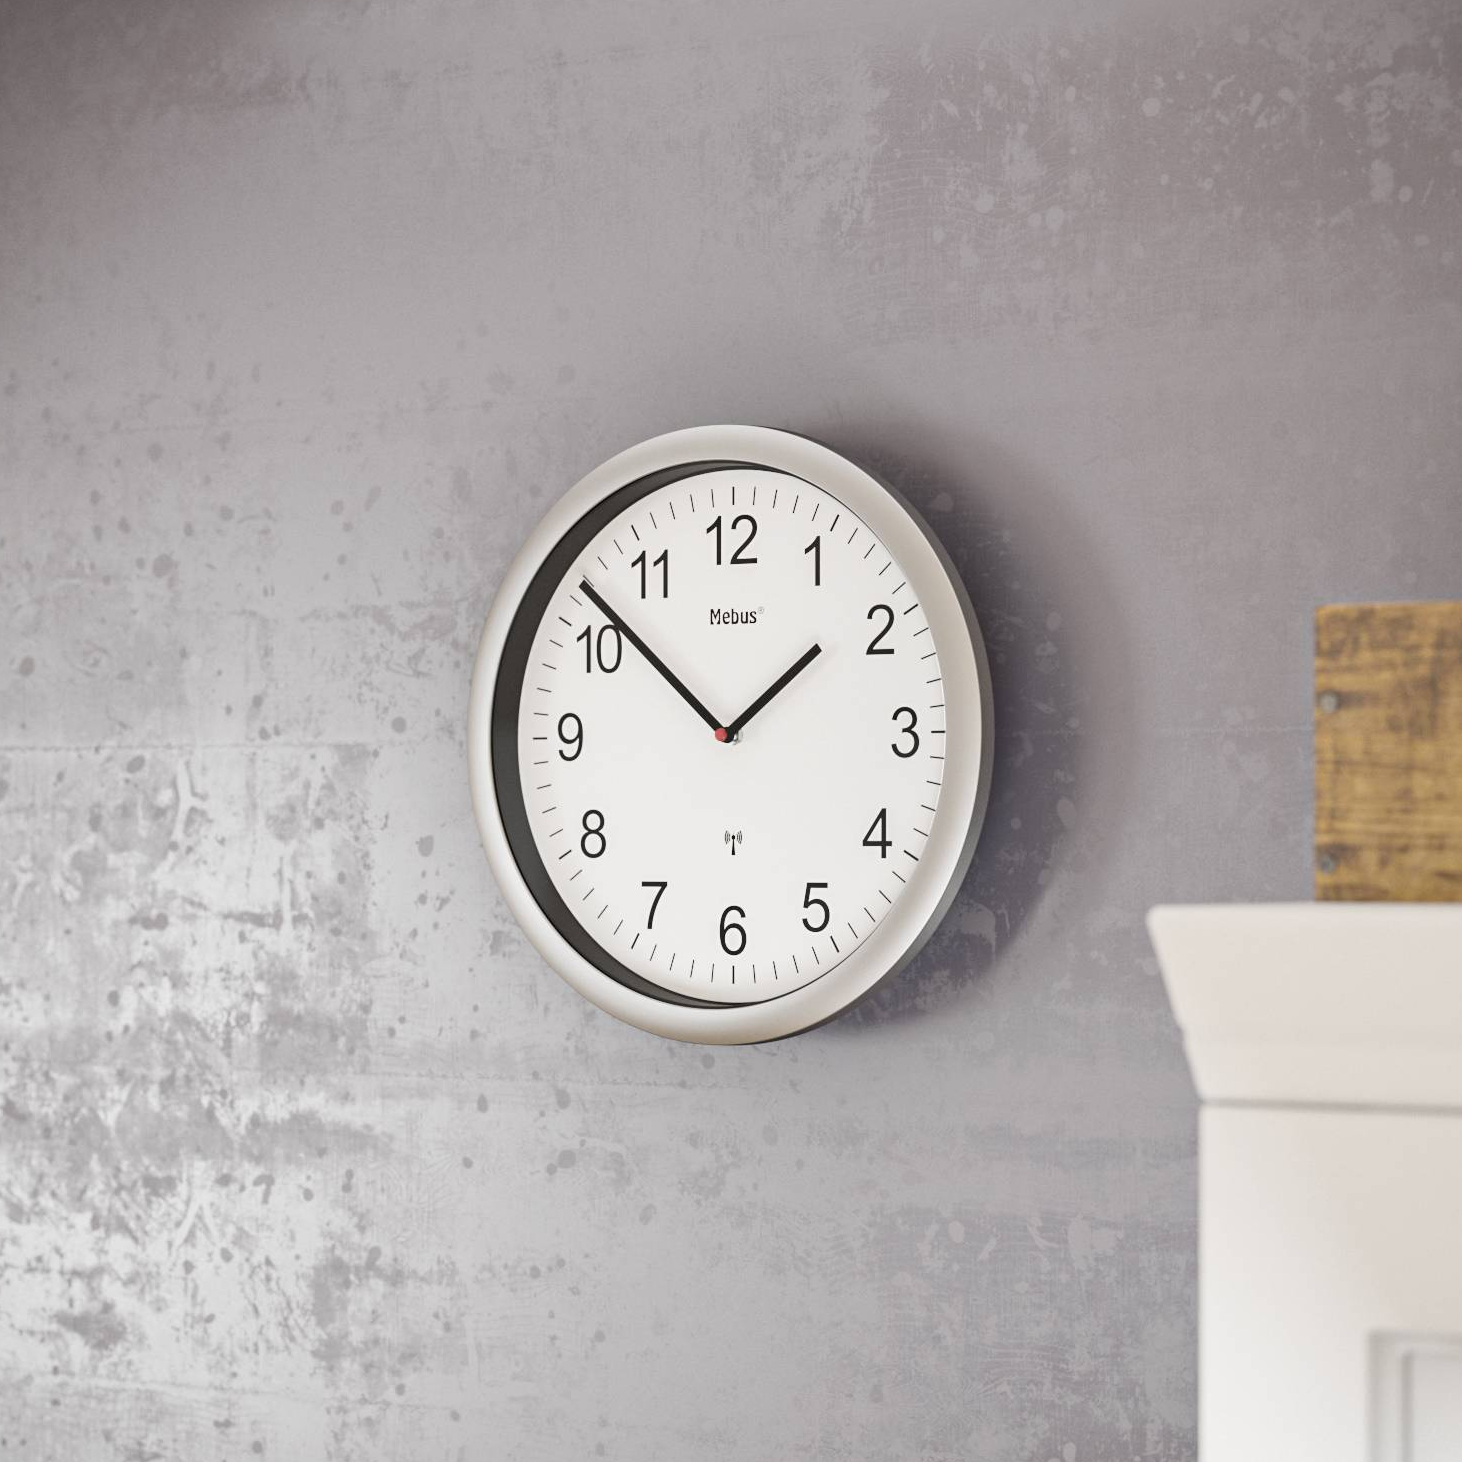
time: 1:51
